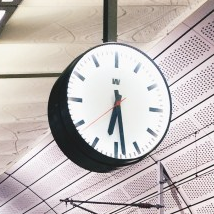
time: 6:28
